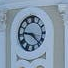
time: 9:22
